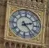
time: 2:23
